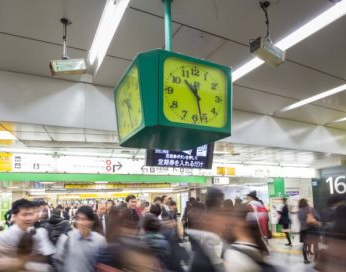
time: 10:28
